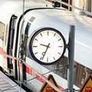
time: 9:34
